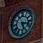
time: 5:15
